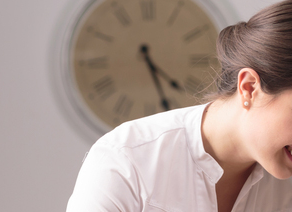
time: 4:26
